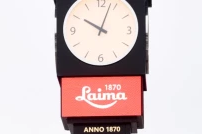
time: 10:03
